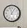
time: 11:05
